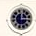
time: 12:14
